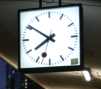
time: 7:50
